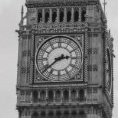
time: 2:38
